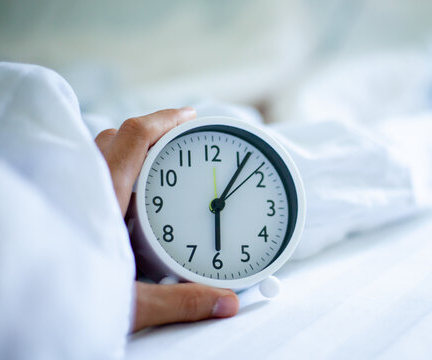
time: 6:06
